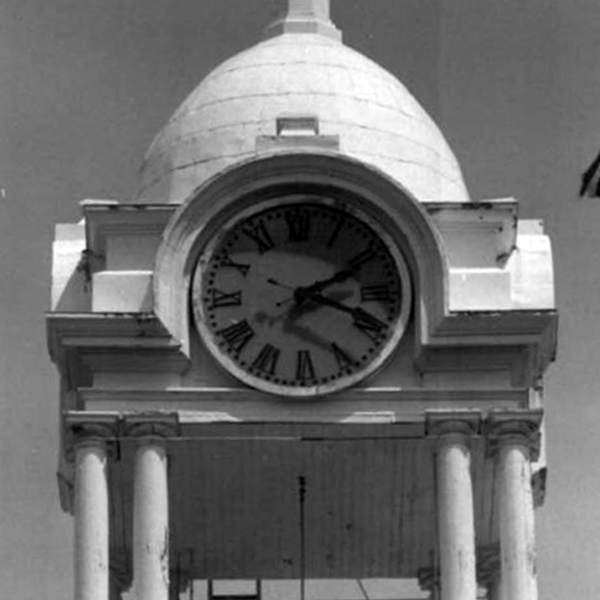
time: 2:18
